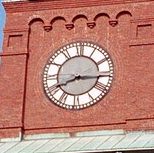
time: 8:15
